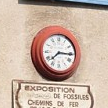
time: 7:15
